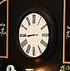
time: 8:44
